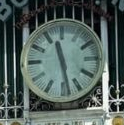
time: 11:28
